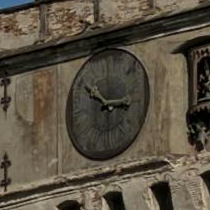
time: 2:50
